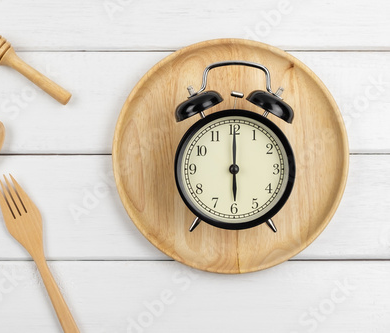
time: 6:00
